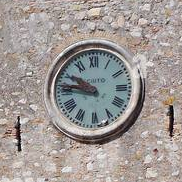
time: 9:46
